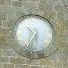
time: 10:34
